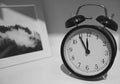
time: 11:54
